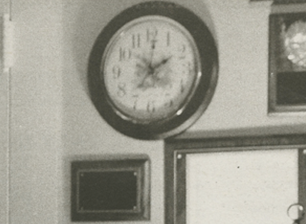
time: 2:01
